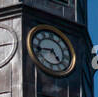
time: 4:42
